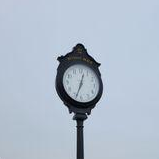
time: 12:33
